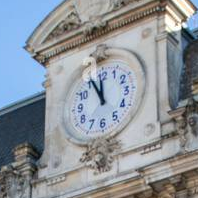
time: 11:55
